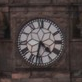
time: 4:32
